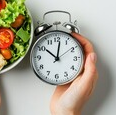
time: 10:01
